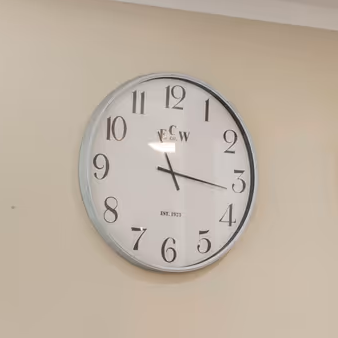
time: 11:16
